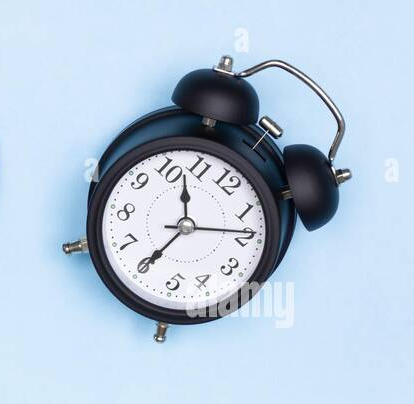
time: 11:35
